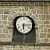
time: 6:14
